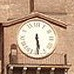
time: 5:29
